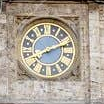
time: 8:11
